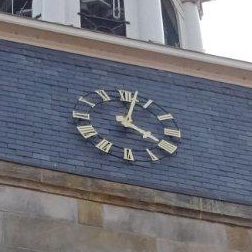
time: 4:02
